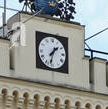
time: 1:32
